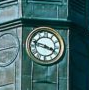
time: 3:47
